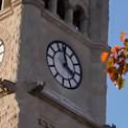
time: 3:58
